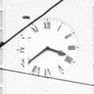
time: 3:38
